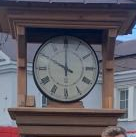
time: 10:00
